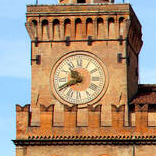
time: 10:41
